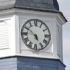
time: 4:50
